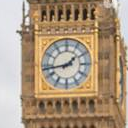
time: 1:43
